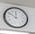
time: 11:50
